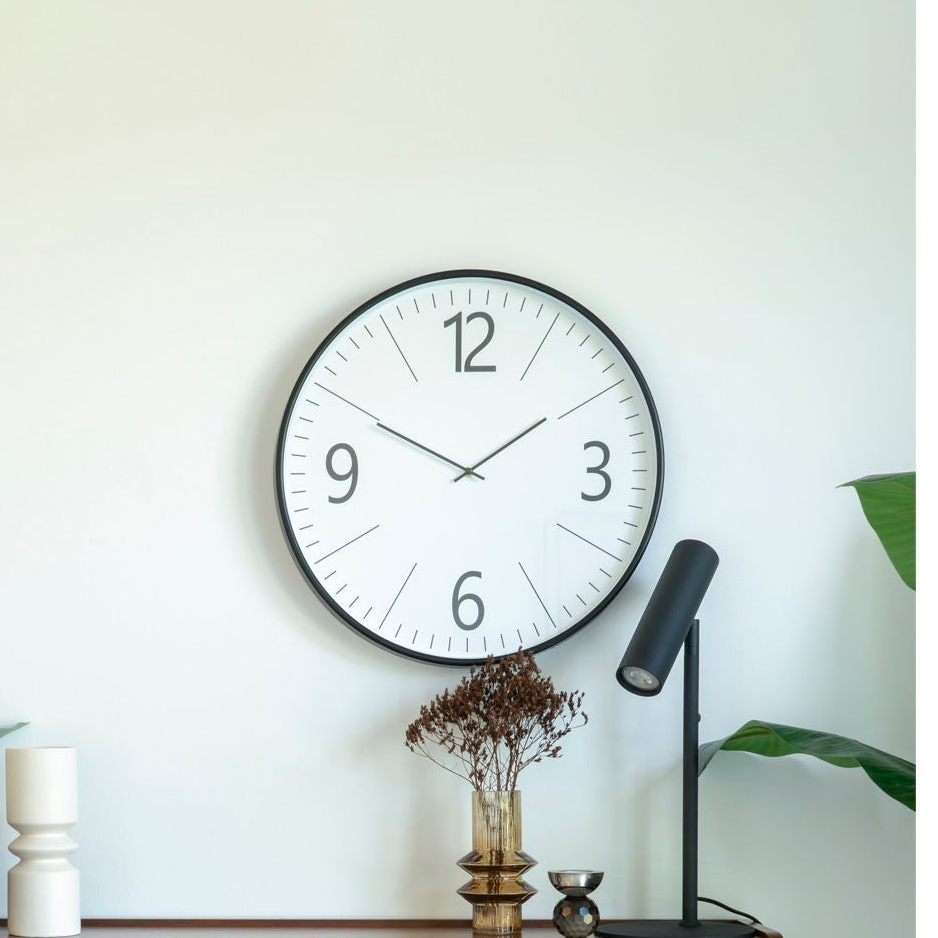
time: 1:49
